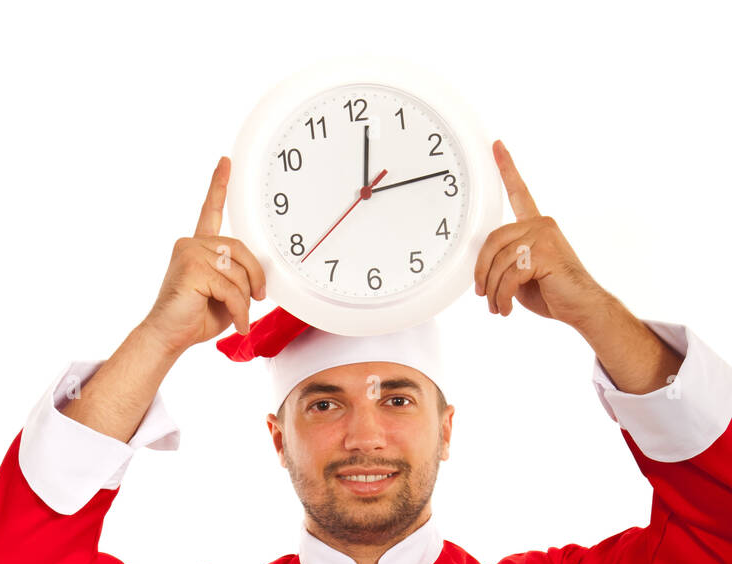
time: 12:13
